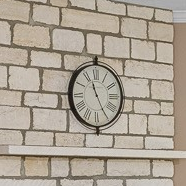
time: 11:25
